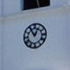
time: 12:55
